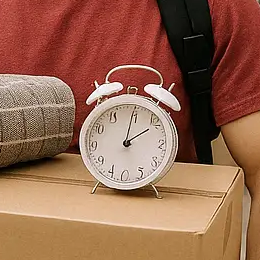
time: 2:02
